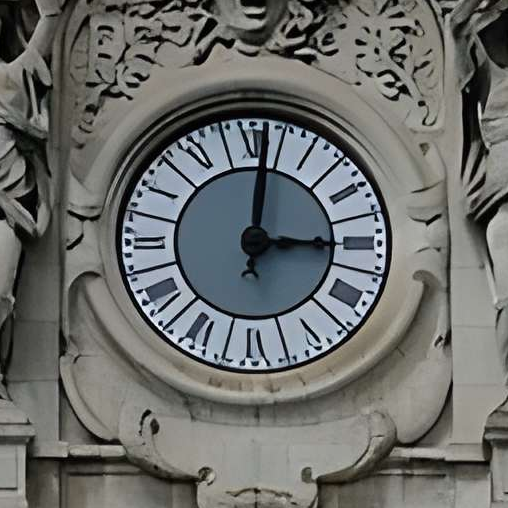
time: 3:01
